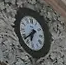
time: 6:38
